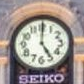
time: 5:00
